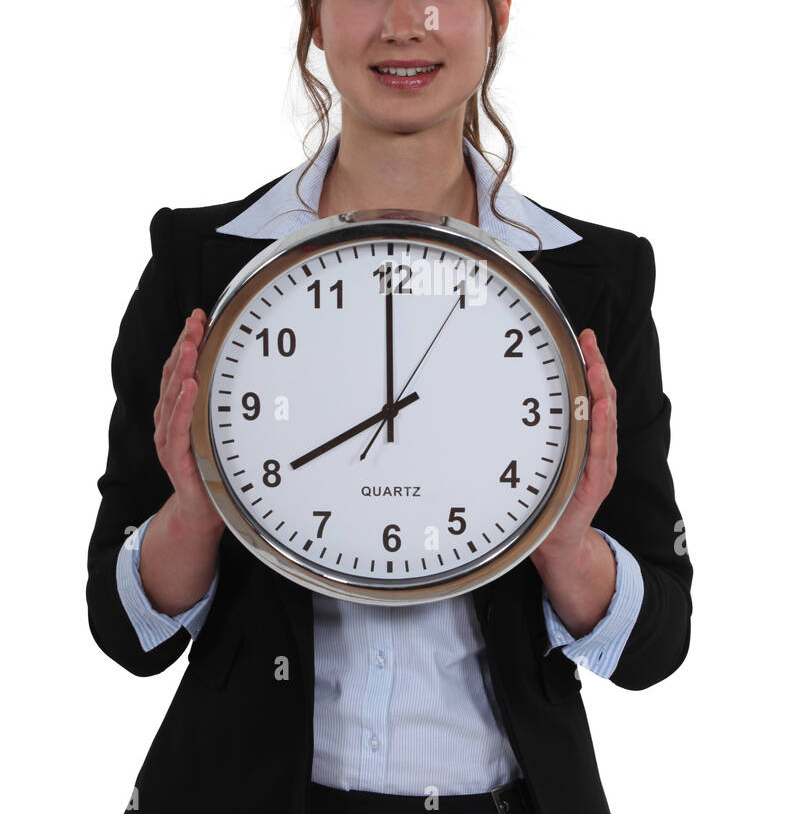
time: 7:59
